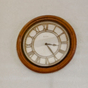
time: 3:24
